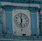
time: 11:32
